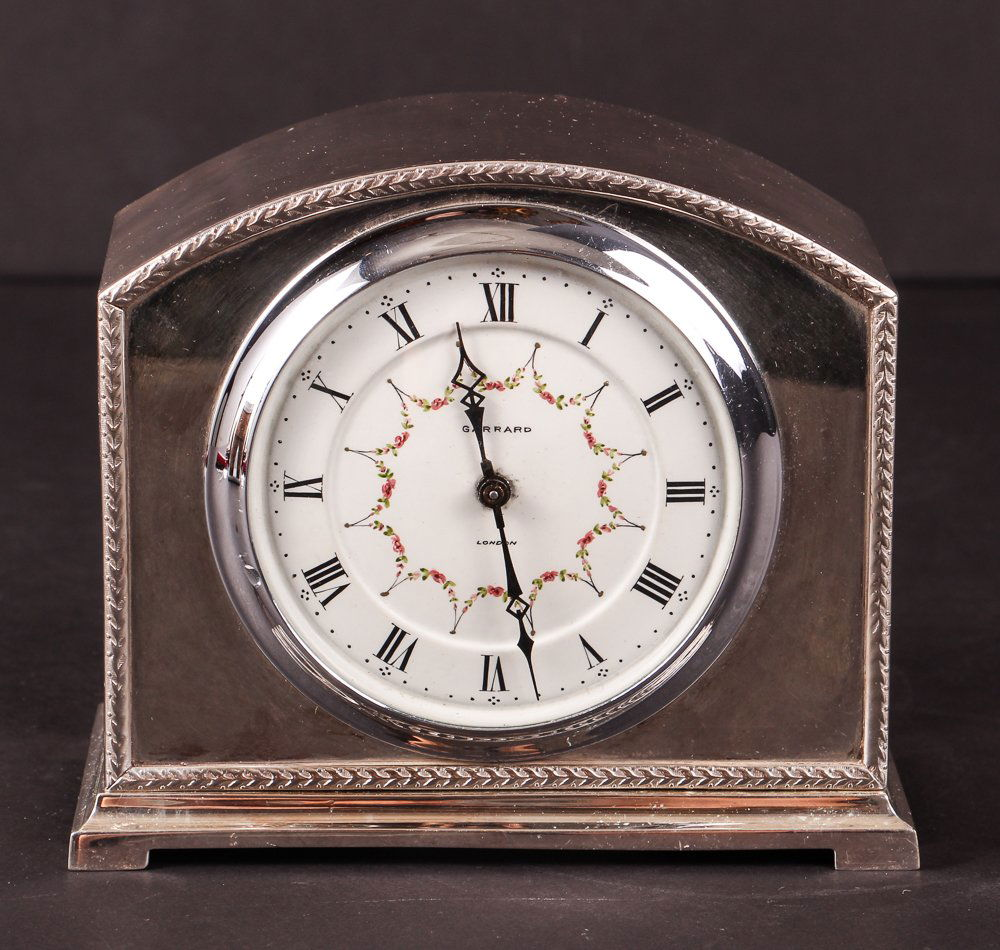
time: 11:28
